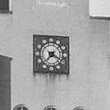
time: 7:19
